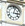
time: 3:02
